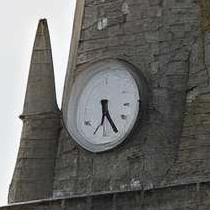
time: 6:24
